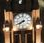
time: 7:40
